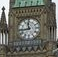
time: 11:43
